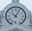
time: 10:04
